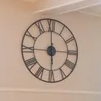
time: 5:59
